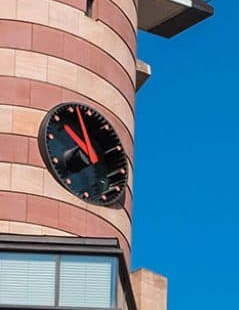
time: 9:57
